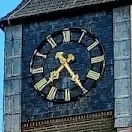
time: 7:24
